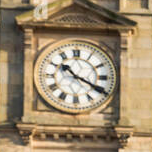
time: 10:19
